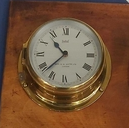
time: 10:37
